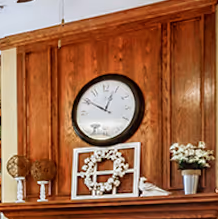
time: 12:50
